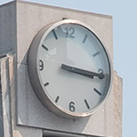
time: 3:15
